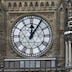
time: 12:05
